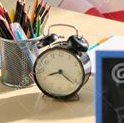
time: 8:21
